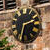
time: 2:33
